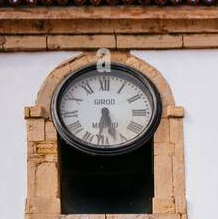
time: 5:31
